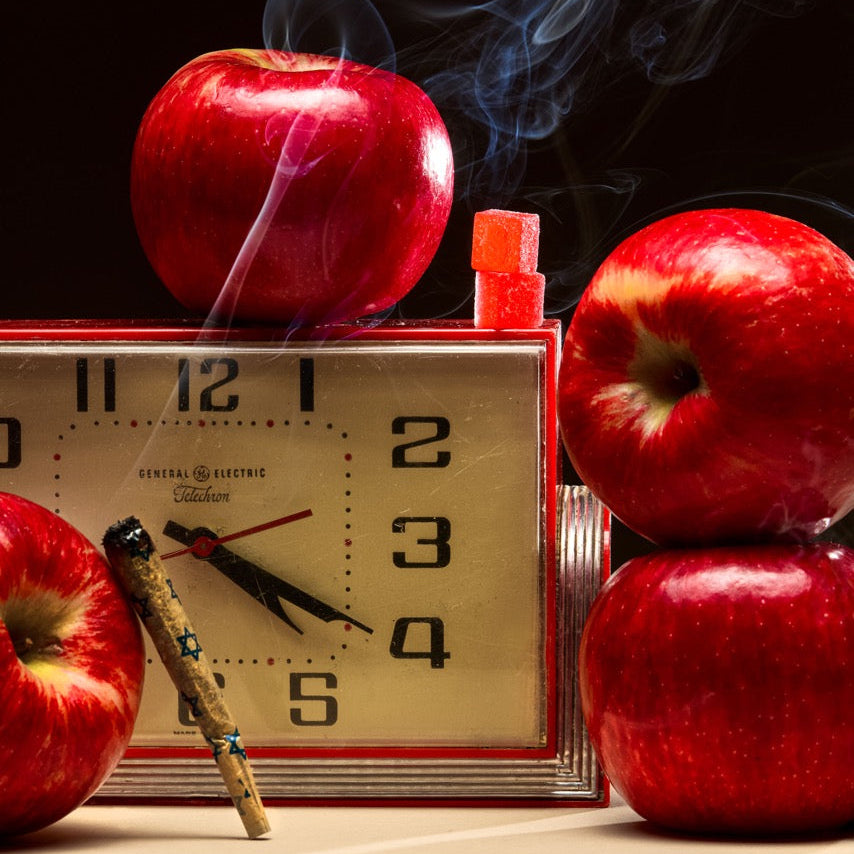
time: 4:20
